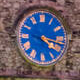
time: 4:17
